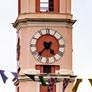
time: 4:37
